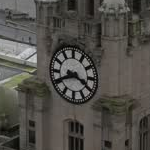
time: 3:40
